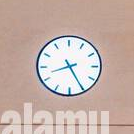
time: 8:25
